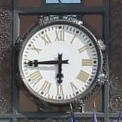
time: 5:44
